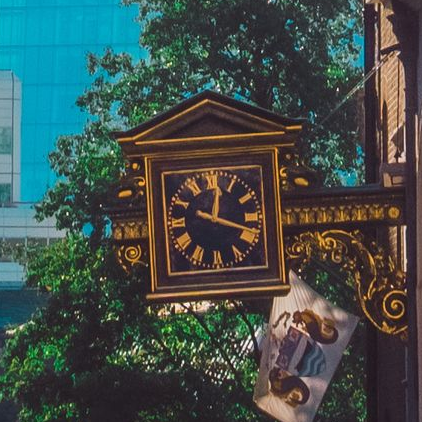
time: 12:18
